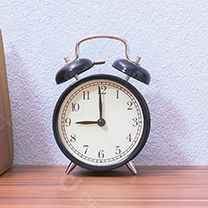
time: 8:59
